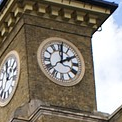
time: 2:00
